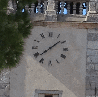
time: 1:38
